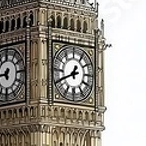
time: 12:41
